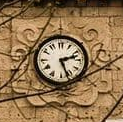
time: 2:26
